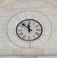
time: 11:52
